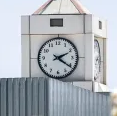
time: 2:20
